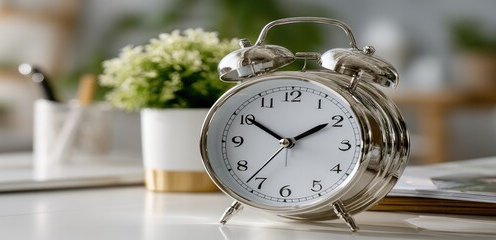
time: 1:50
